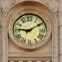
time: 9:09
